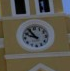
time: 9:54
